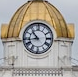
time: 10:42
